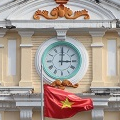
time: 3:00
